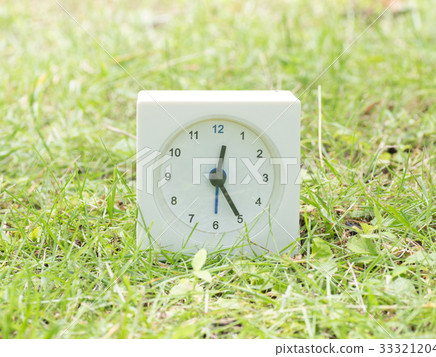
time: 12:24
